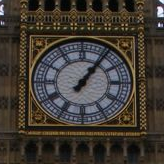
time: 1:06
